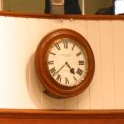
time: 4:37
